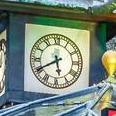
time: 5:40
